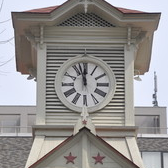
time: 11:57
